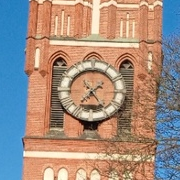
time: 1:36
